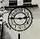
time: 2:45
